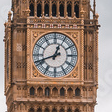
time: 12:42
